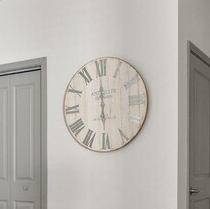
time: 6:00
